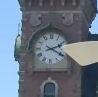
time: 2:19
